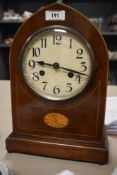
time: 9:17
